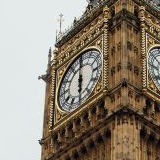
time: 6:00
